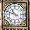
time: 10:48
